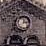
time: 12:13
